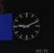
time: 9:10
